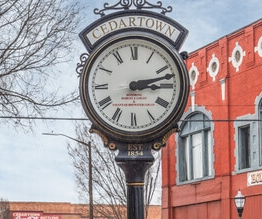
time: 3:12
